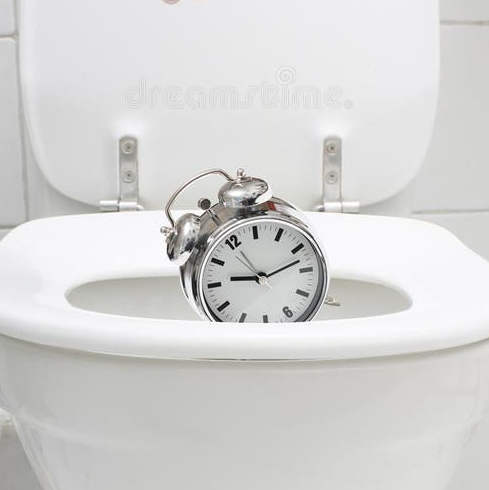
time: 9:12
